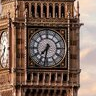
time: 7:32
